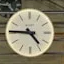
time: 4:45
